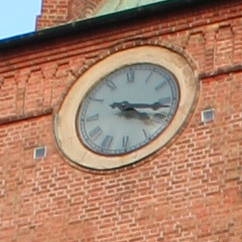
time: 4:17
